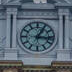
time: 3:04
